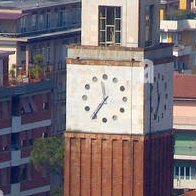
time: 11:35
